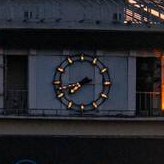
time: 7:42
